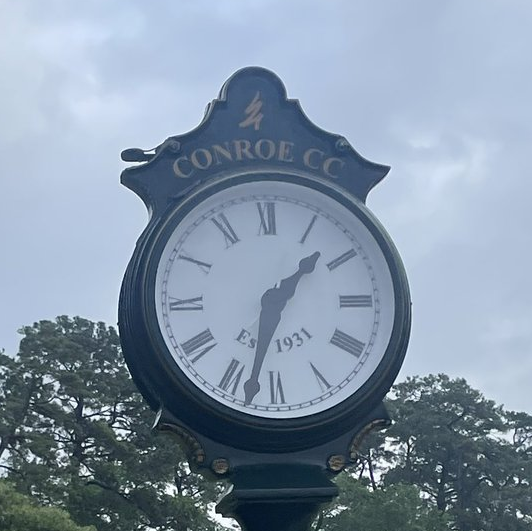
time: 1:33
